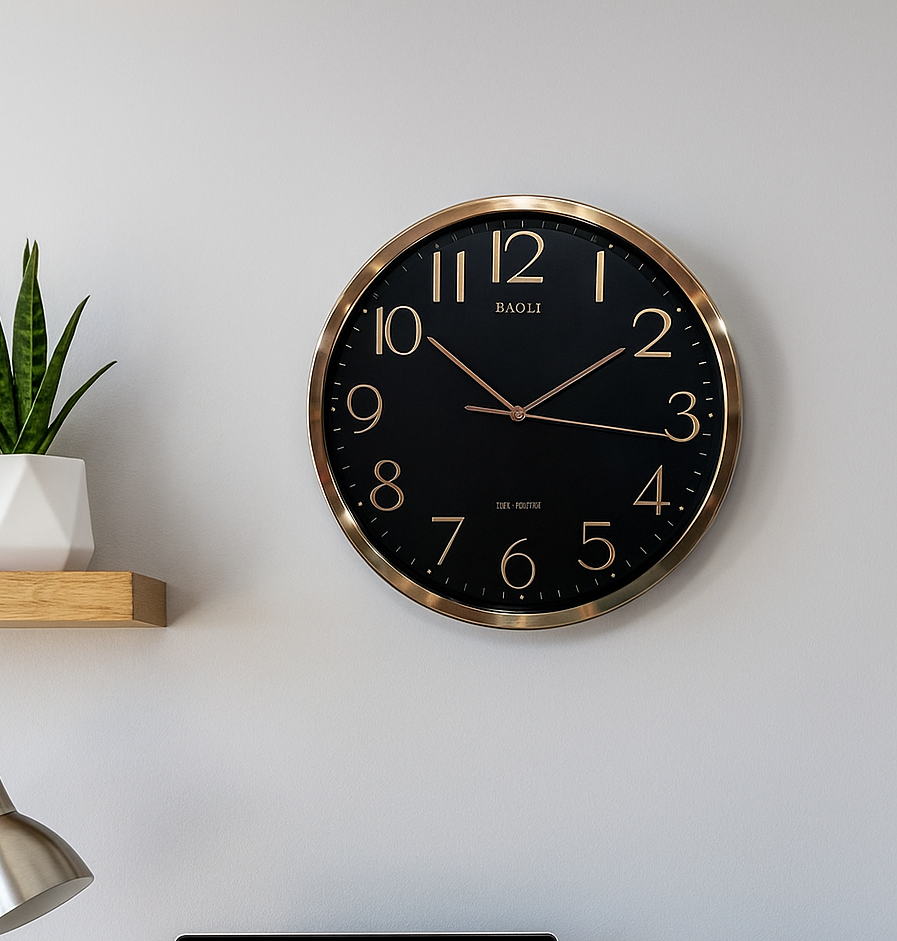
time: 10:16
